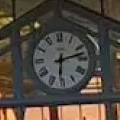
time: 6:12
